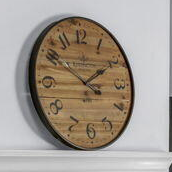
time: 1:50
